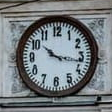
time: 10:16
